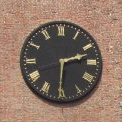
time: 2:30
